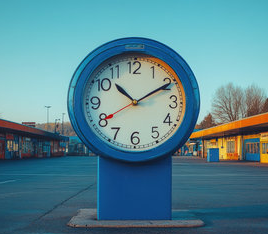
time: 10:10
